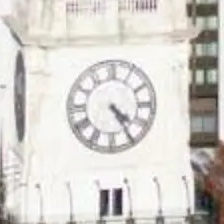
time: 4:24
